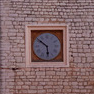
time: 5:51
